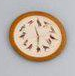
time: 11:29
